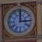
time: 3:00
